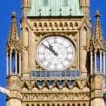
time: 10:51
